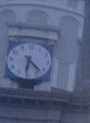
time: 6:22
